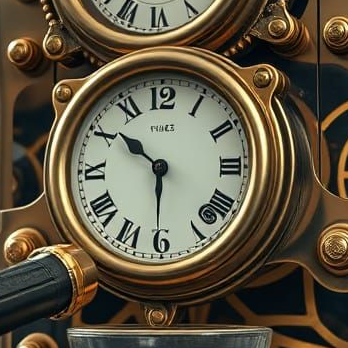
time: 10:30
